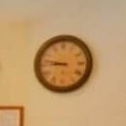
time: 8:47
